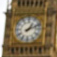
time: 1:11
